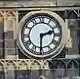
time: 2:30
